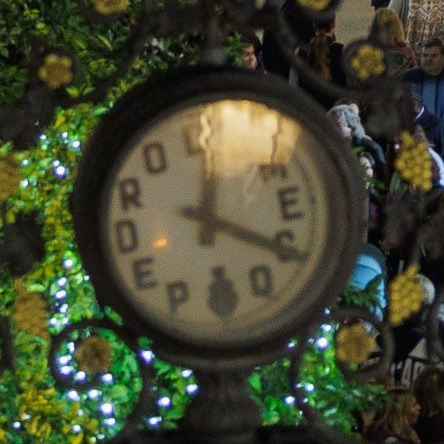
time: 12:19
